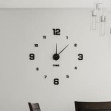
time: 12:08
